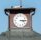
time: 3:14
